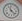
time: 11:22
